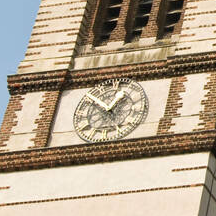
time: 12:52
